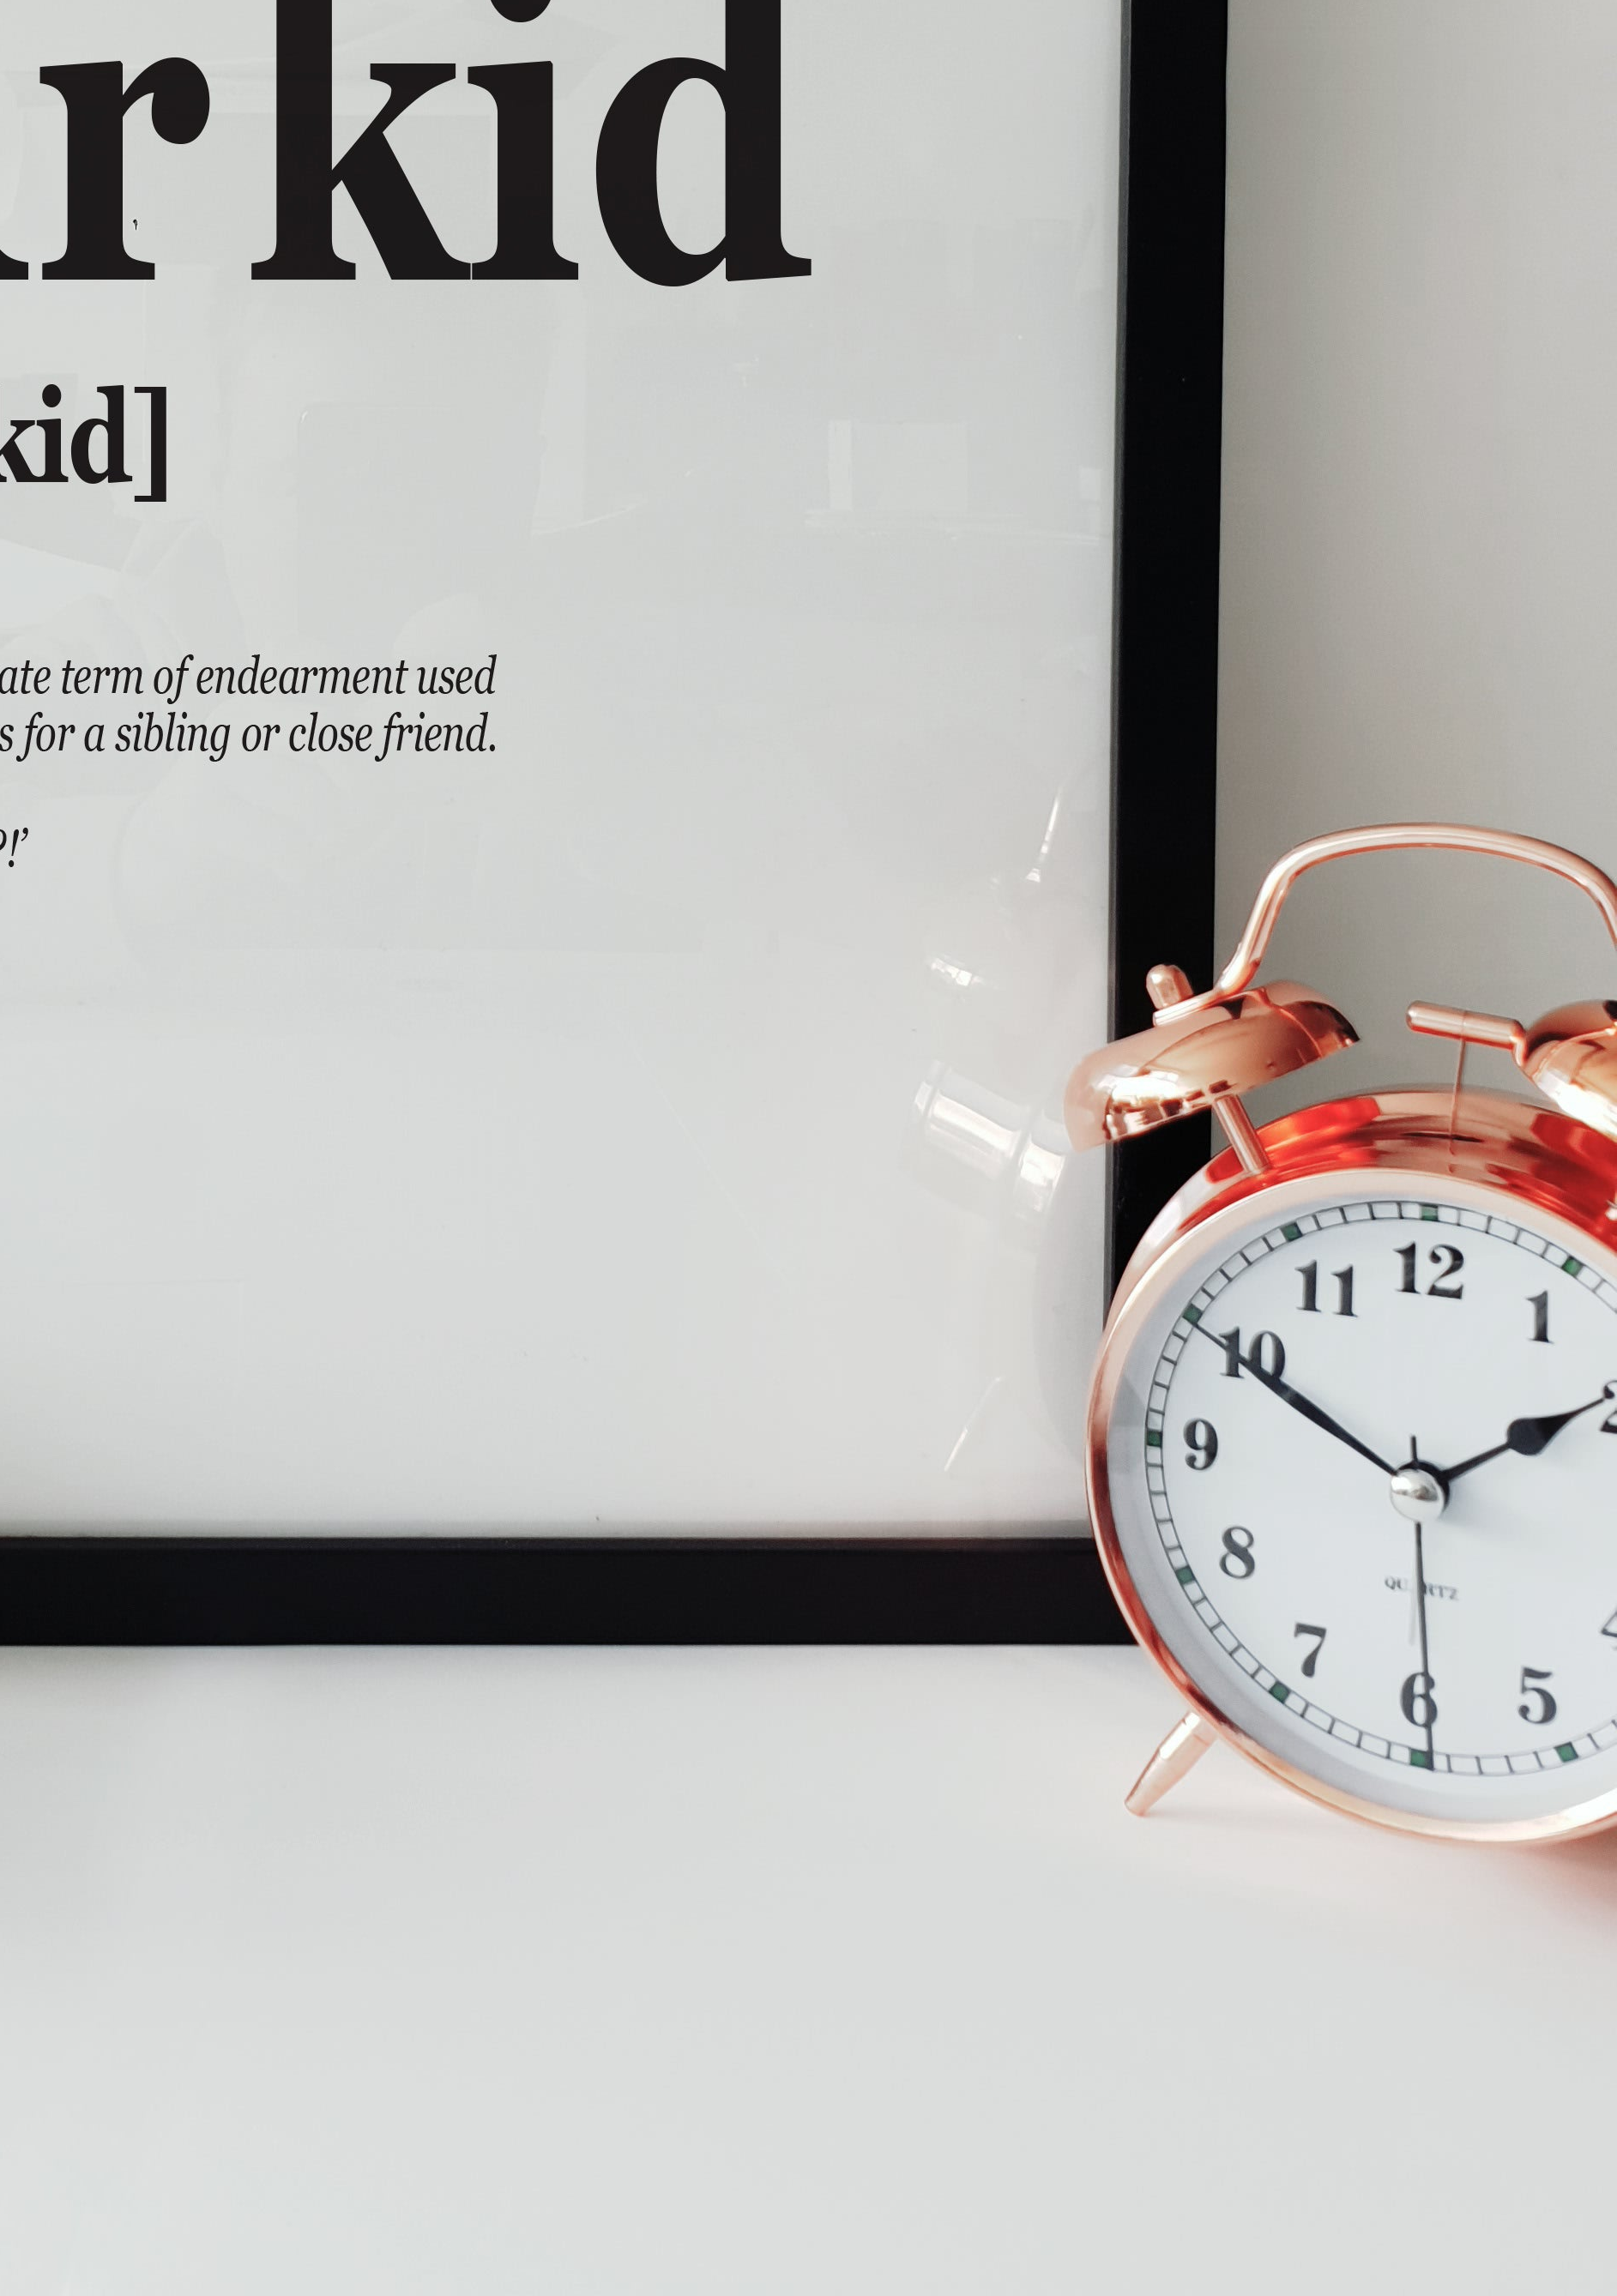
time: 1:49
